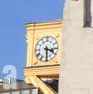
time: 3:29
